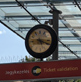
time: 5:18
